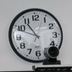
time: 10:48
